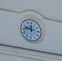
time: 11:47
